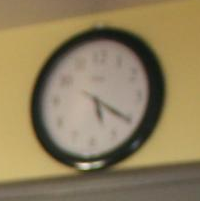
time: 5:20
